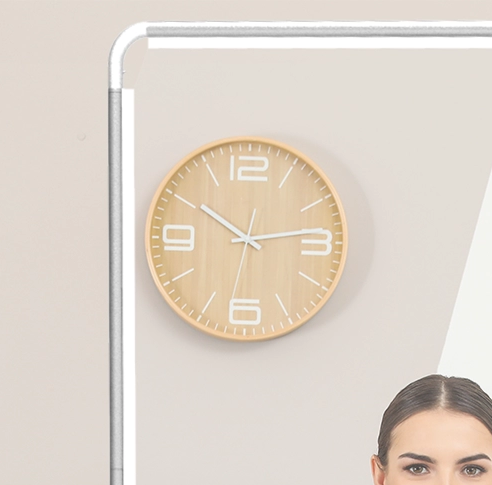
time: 10:13
